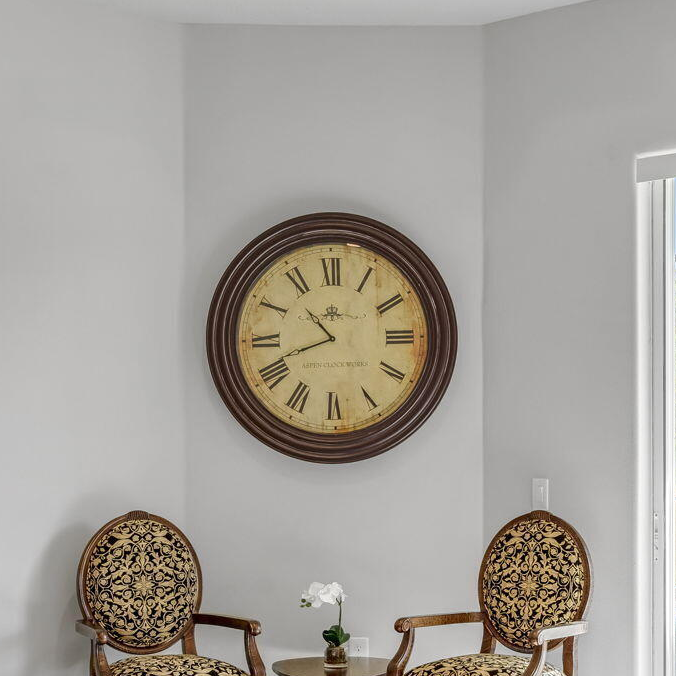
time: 10:41
